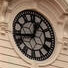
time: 12:43
